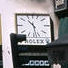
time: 10:28
